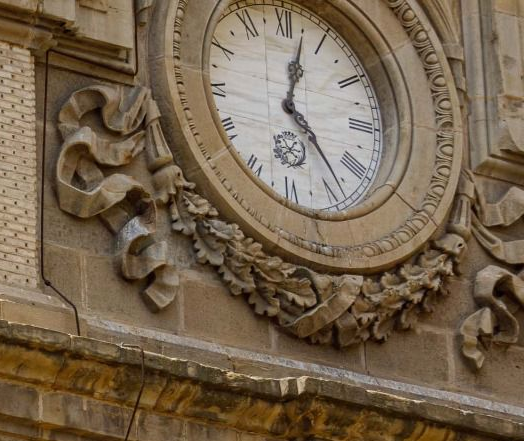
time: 12:23
